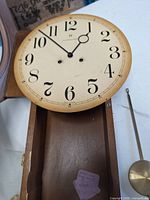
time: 12:52
